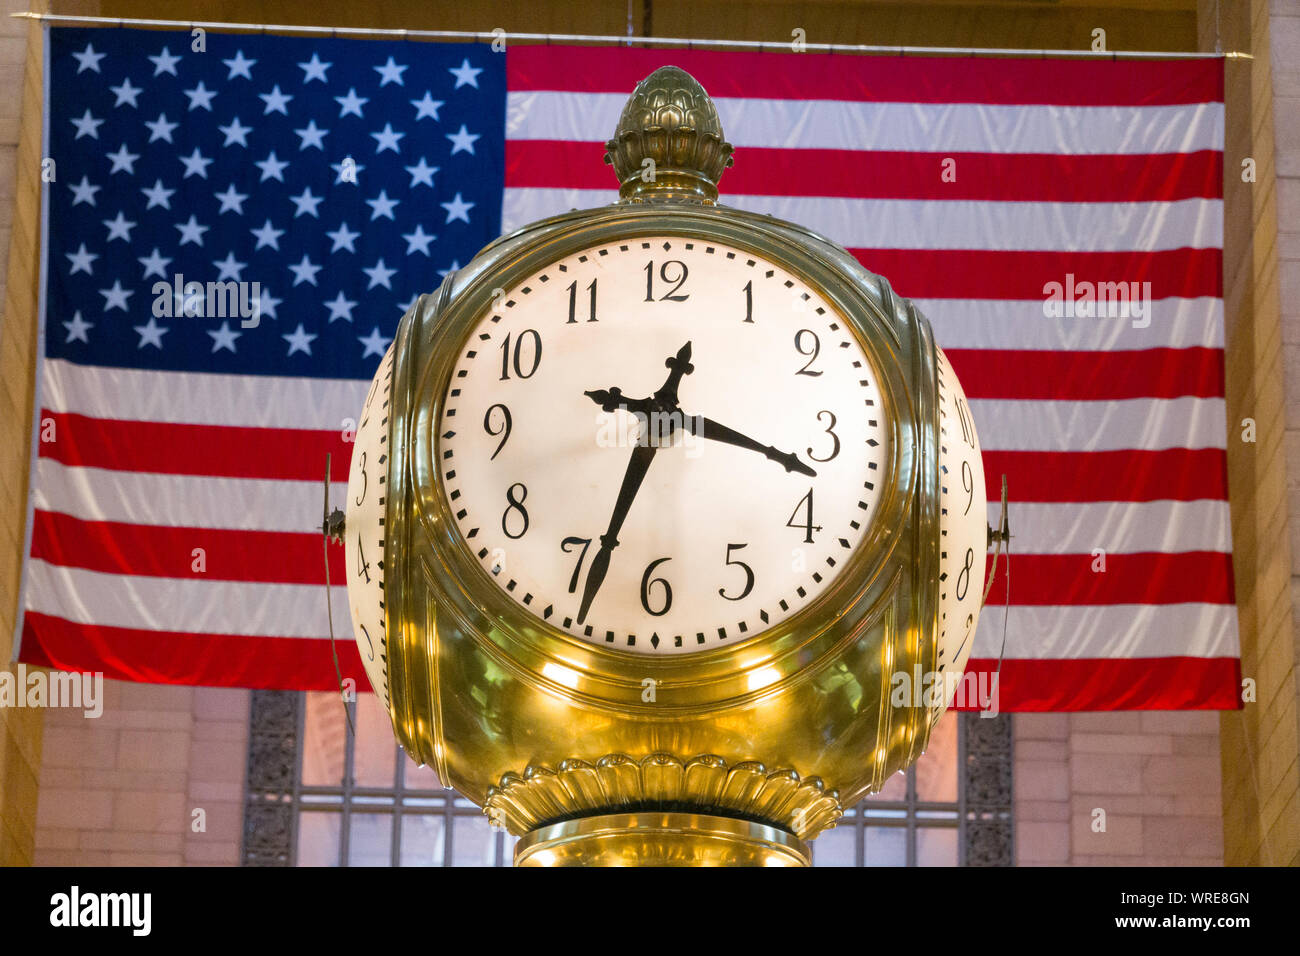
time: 3:33
